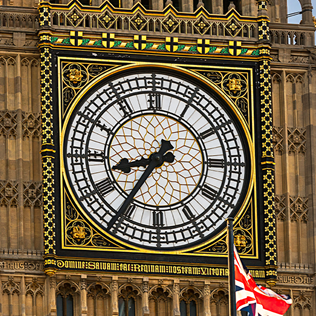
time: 8:35
